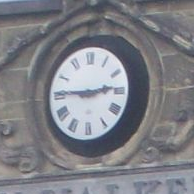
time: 2:45
